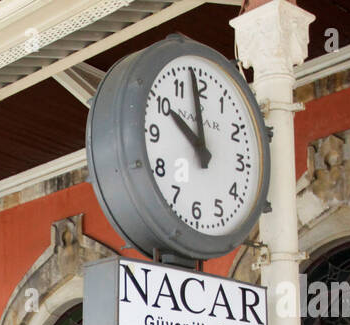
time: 9:58
